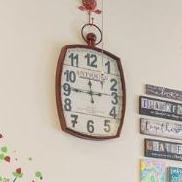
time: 11:45
